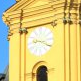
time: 9:20
